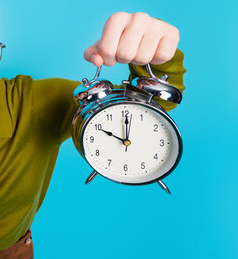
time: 10:00
